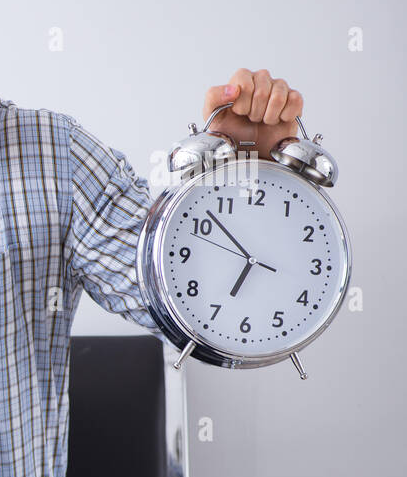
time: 6:52
